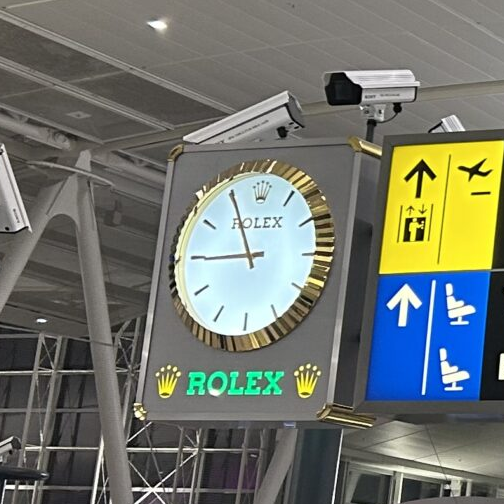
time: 8:55
